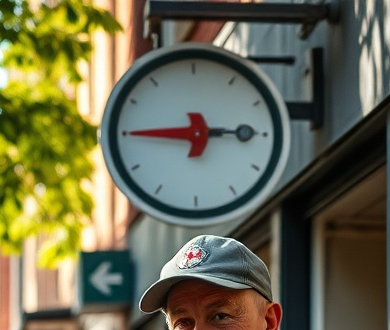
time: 2:45
